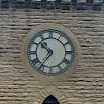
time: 10:36
